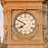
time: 7:49
